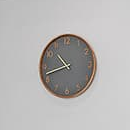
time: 10:42
